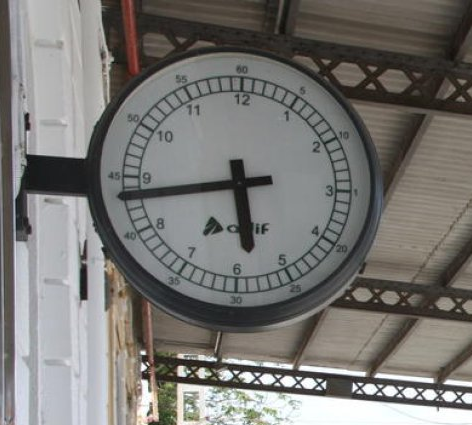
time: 5:43
